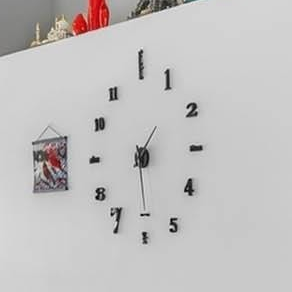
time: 1:29
